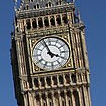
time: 3:57
